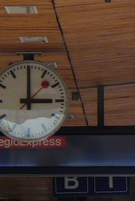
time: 2:59
